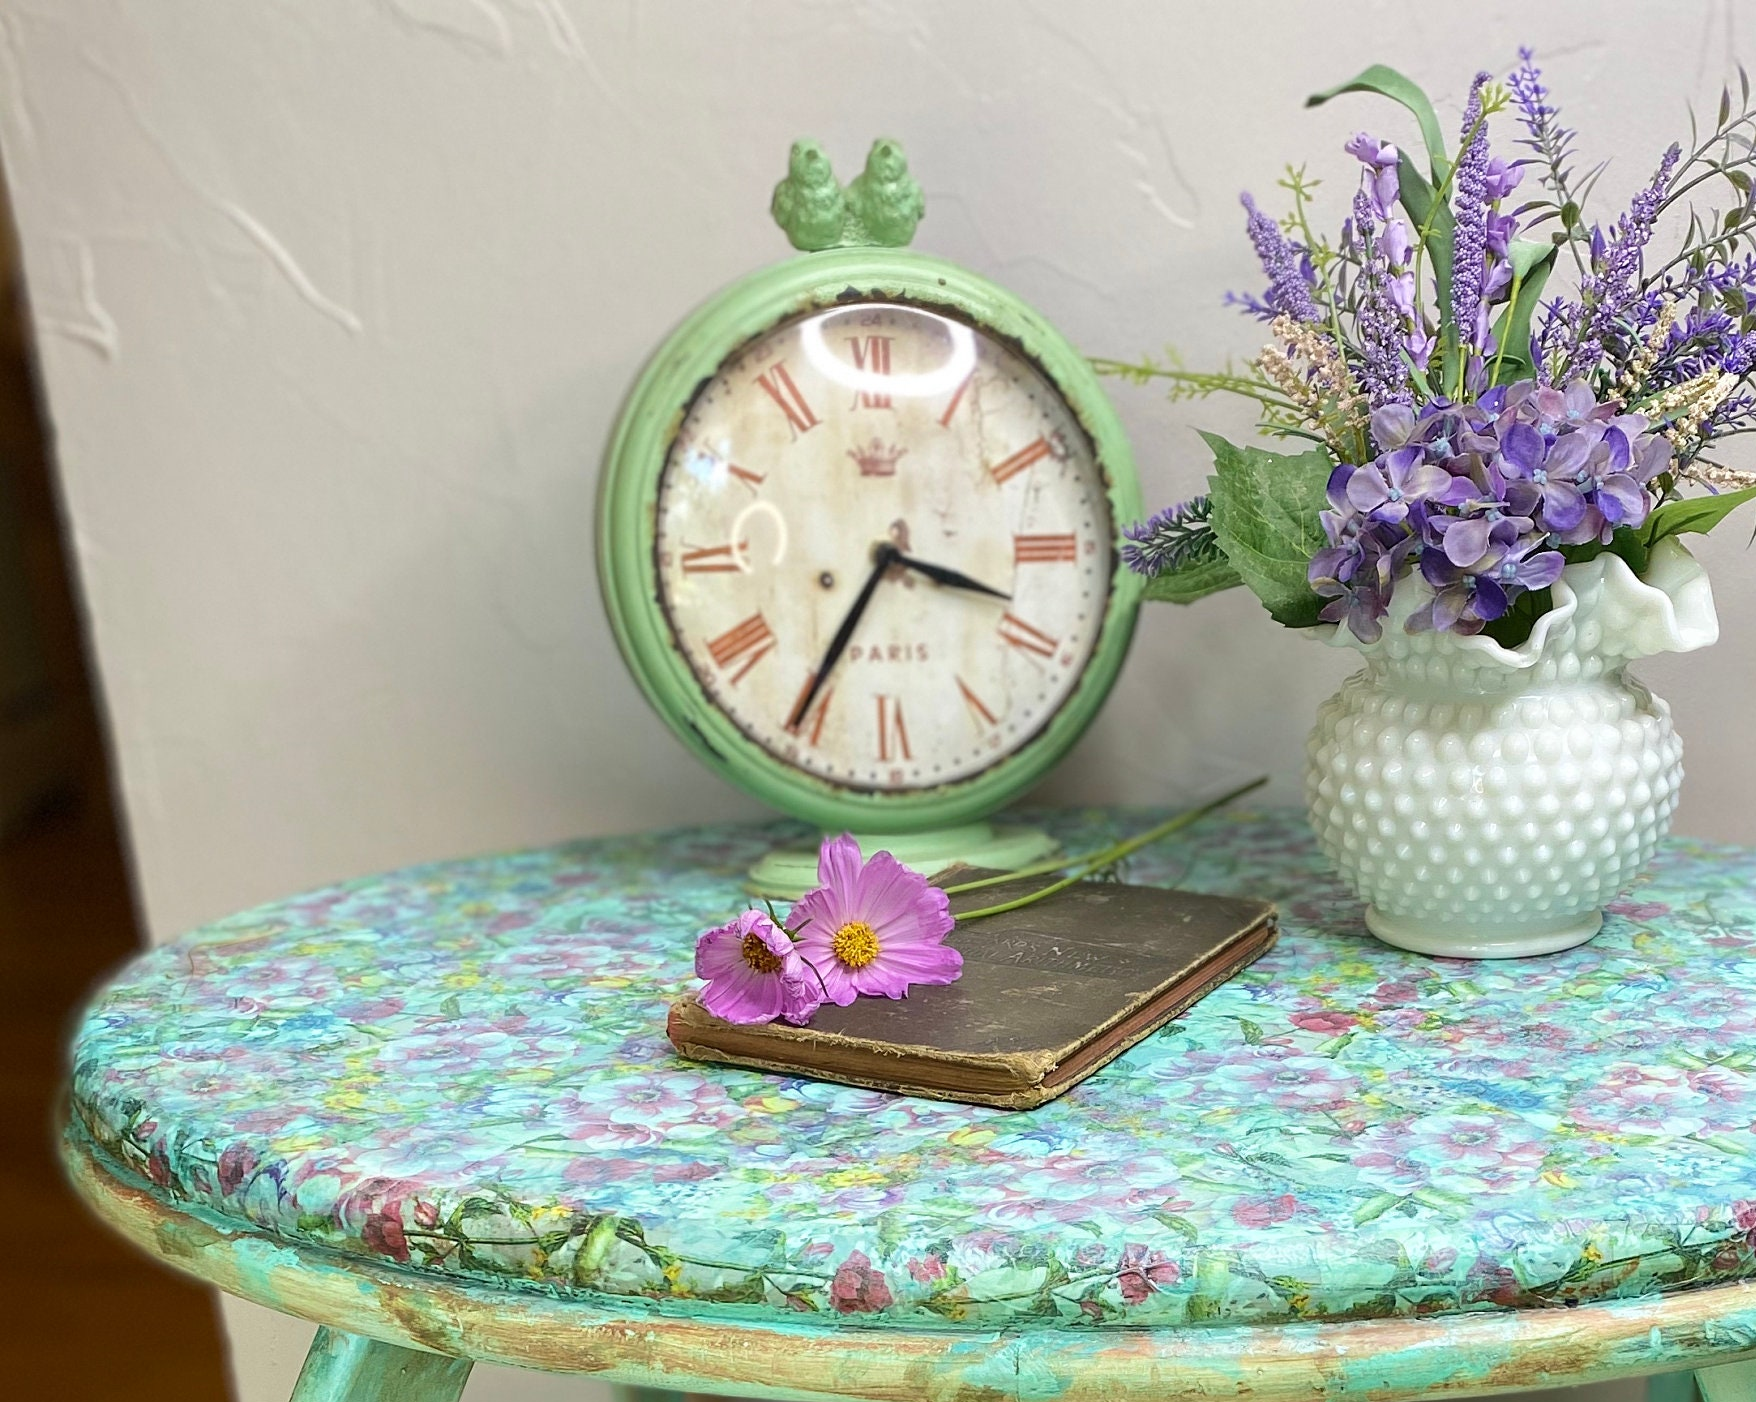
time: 3:35
